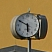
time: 5:49
